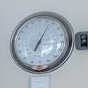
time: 7:04
